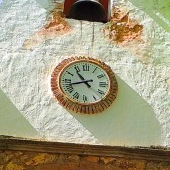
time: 10:42
